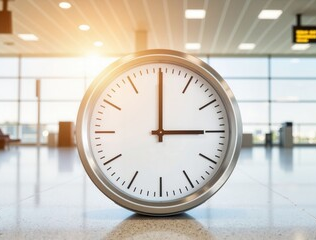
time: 3:00
